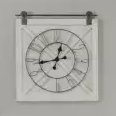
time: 12:43
